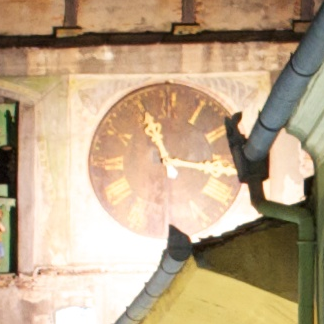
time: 11:16
